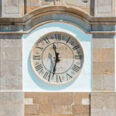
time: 11:32
